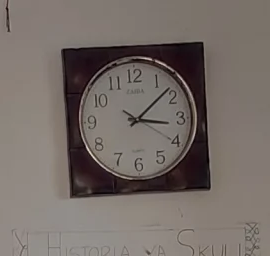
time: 3:08
